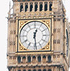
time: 12:28
